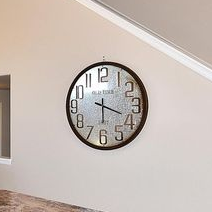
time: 6:18
